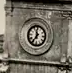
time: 11:35
